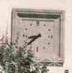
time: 8:39
